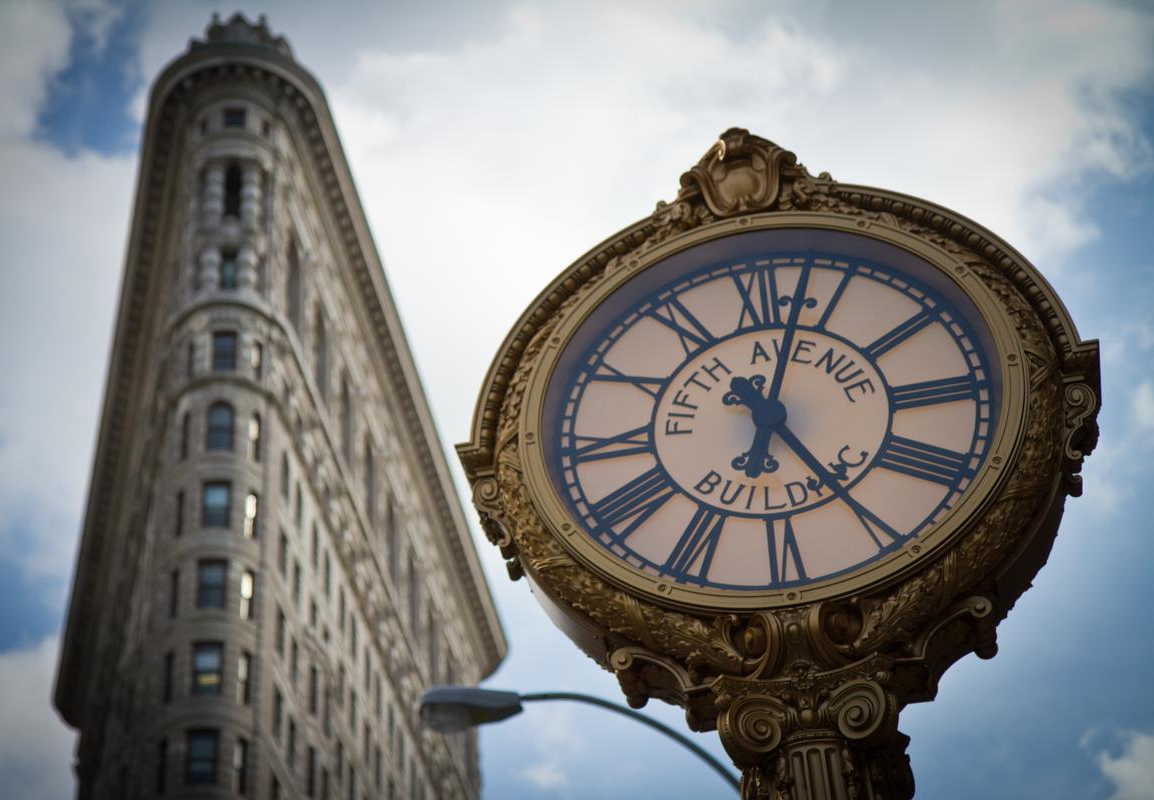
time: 5:02
